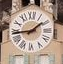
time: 1:43
